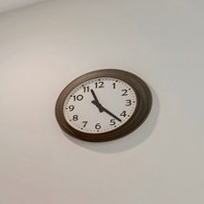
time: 11:22
